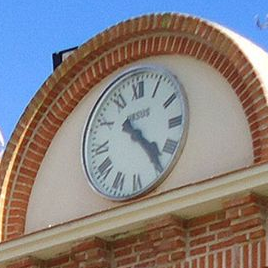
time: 4:23
